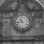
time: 10:43
